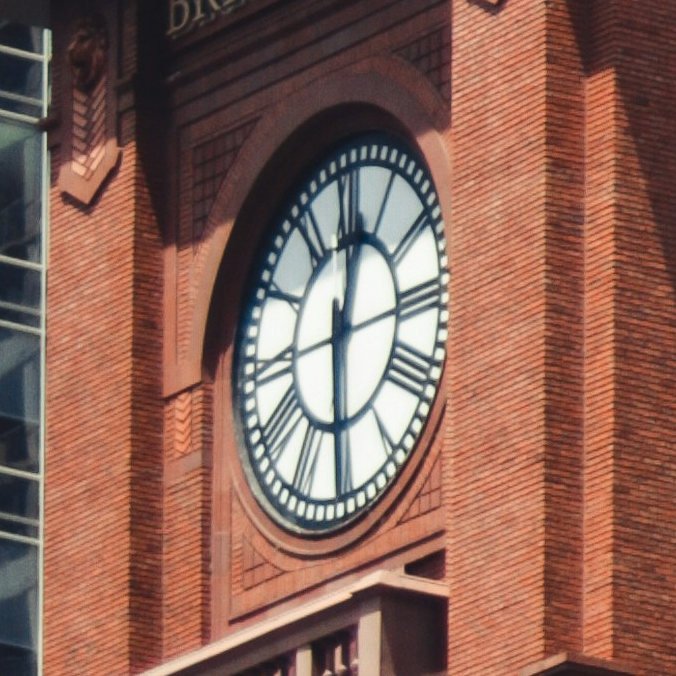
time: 12:30
